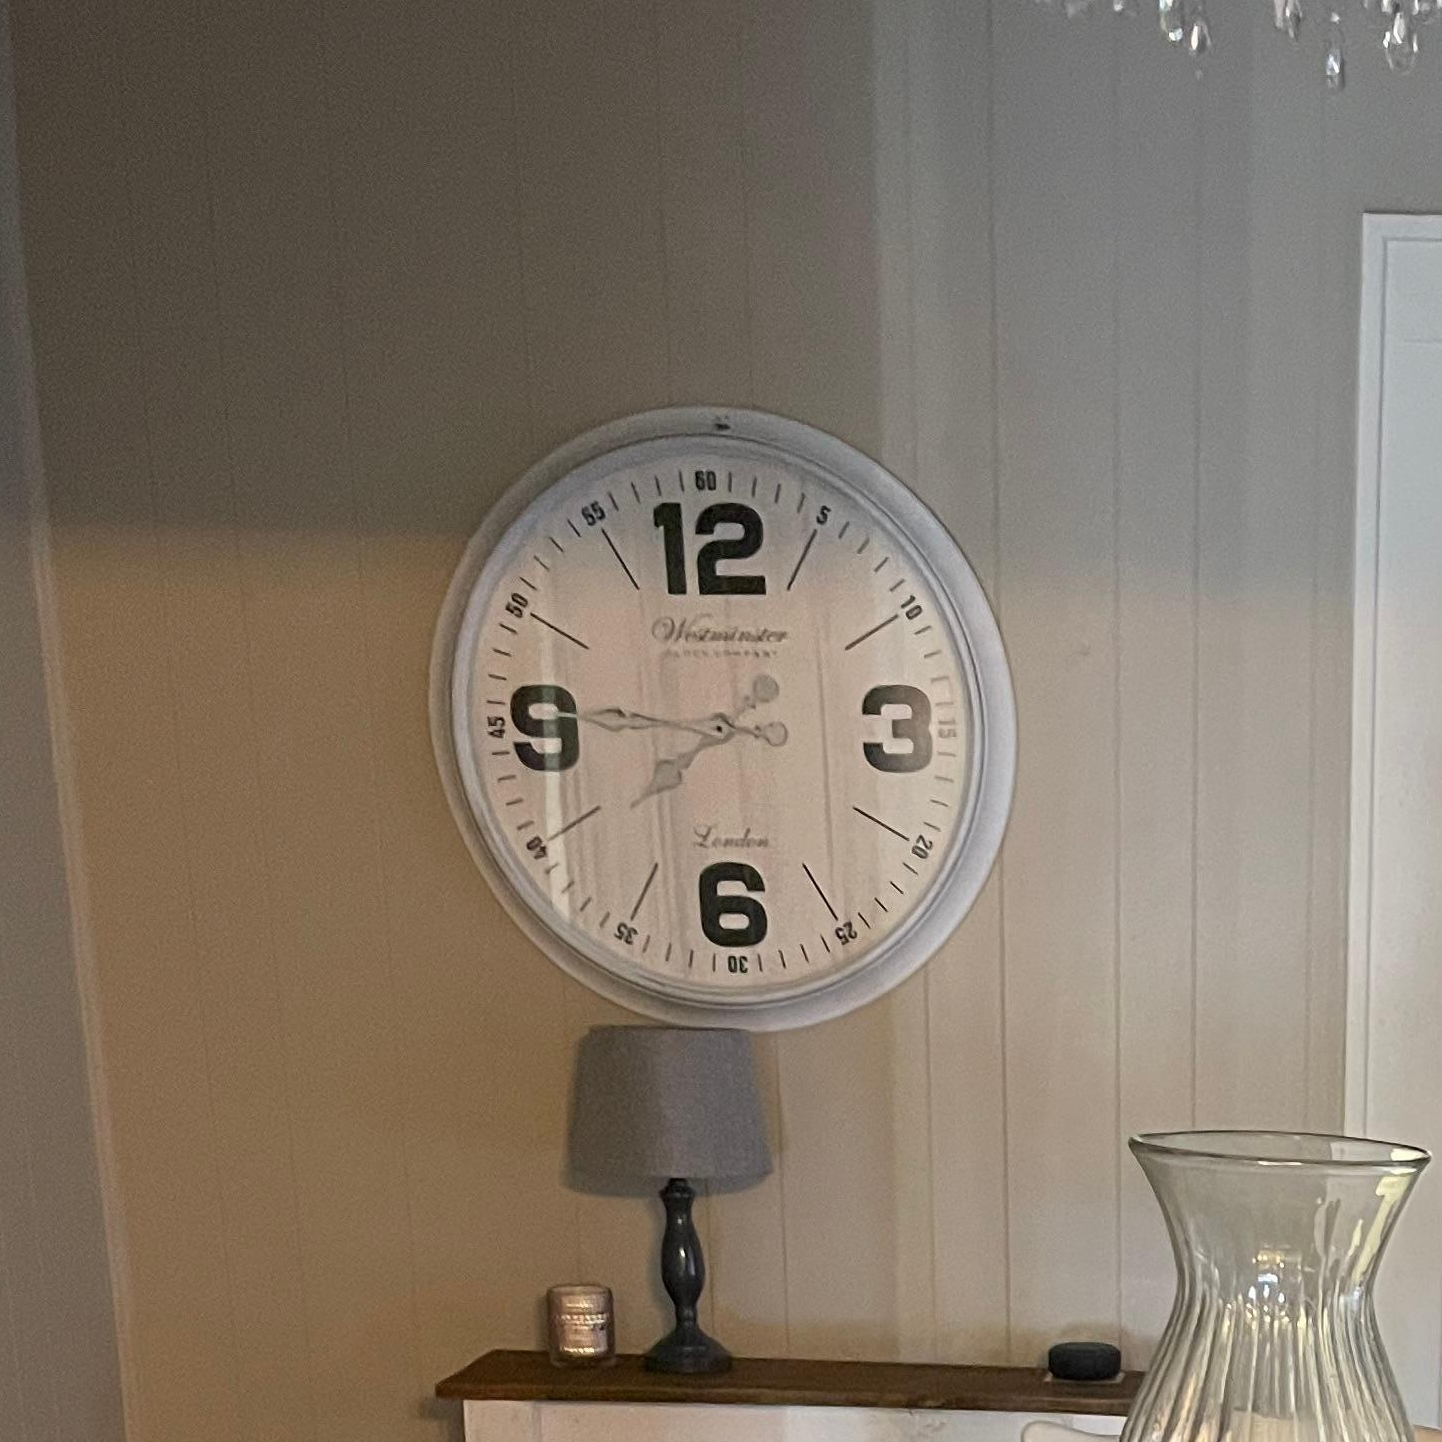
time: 7:45
